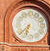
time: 6:37
